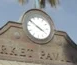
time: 3:50
